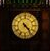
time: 4:23
